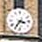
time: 3:35
